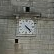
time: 4:23
